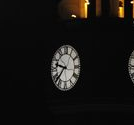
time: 9:37
